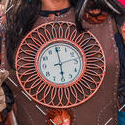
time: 5:59
